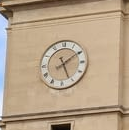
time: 5:09
